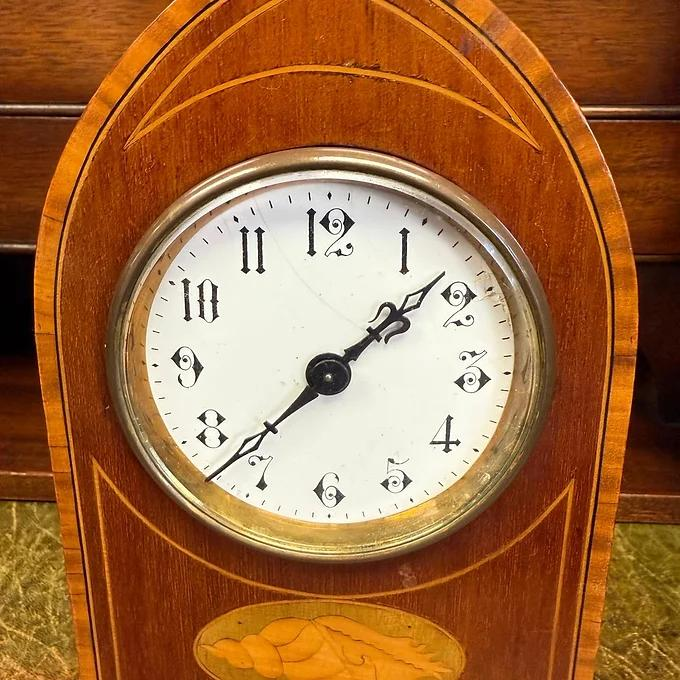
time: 1:37
